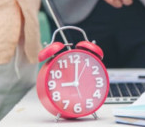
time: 9:01
